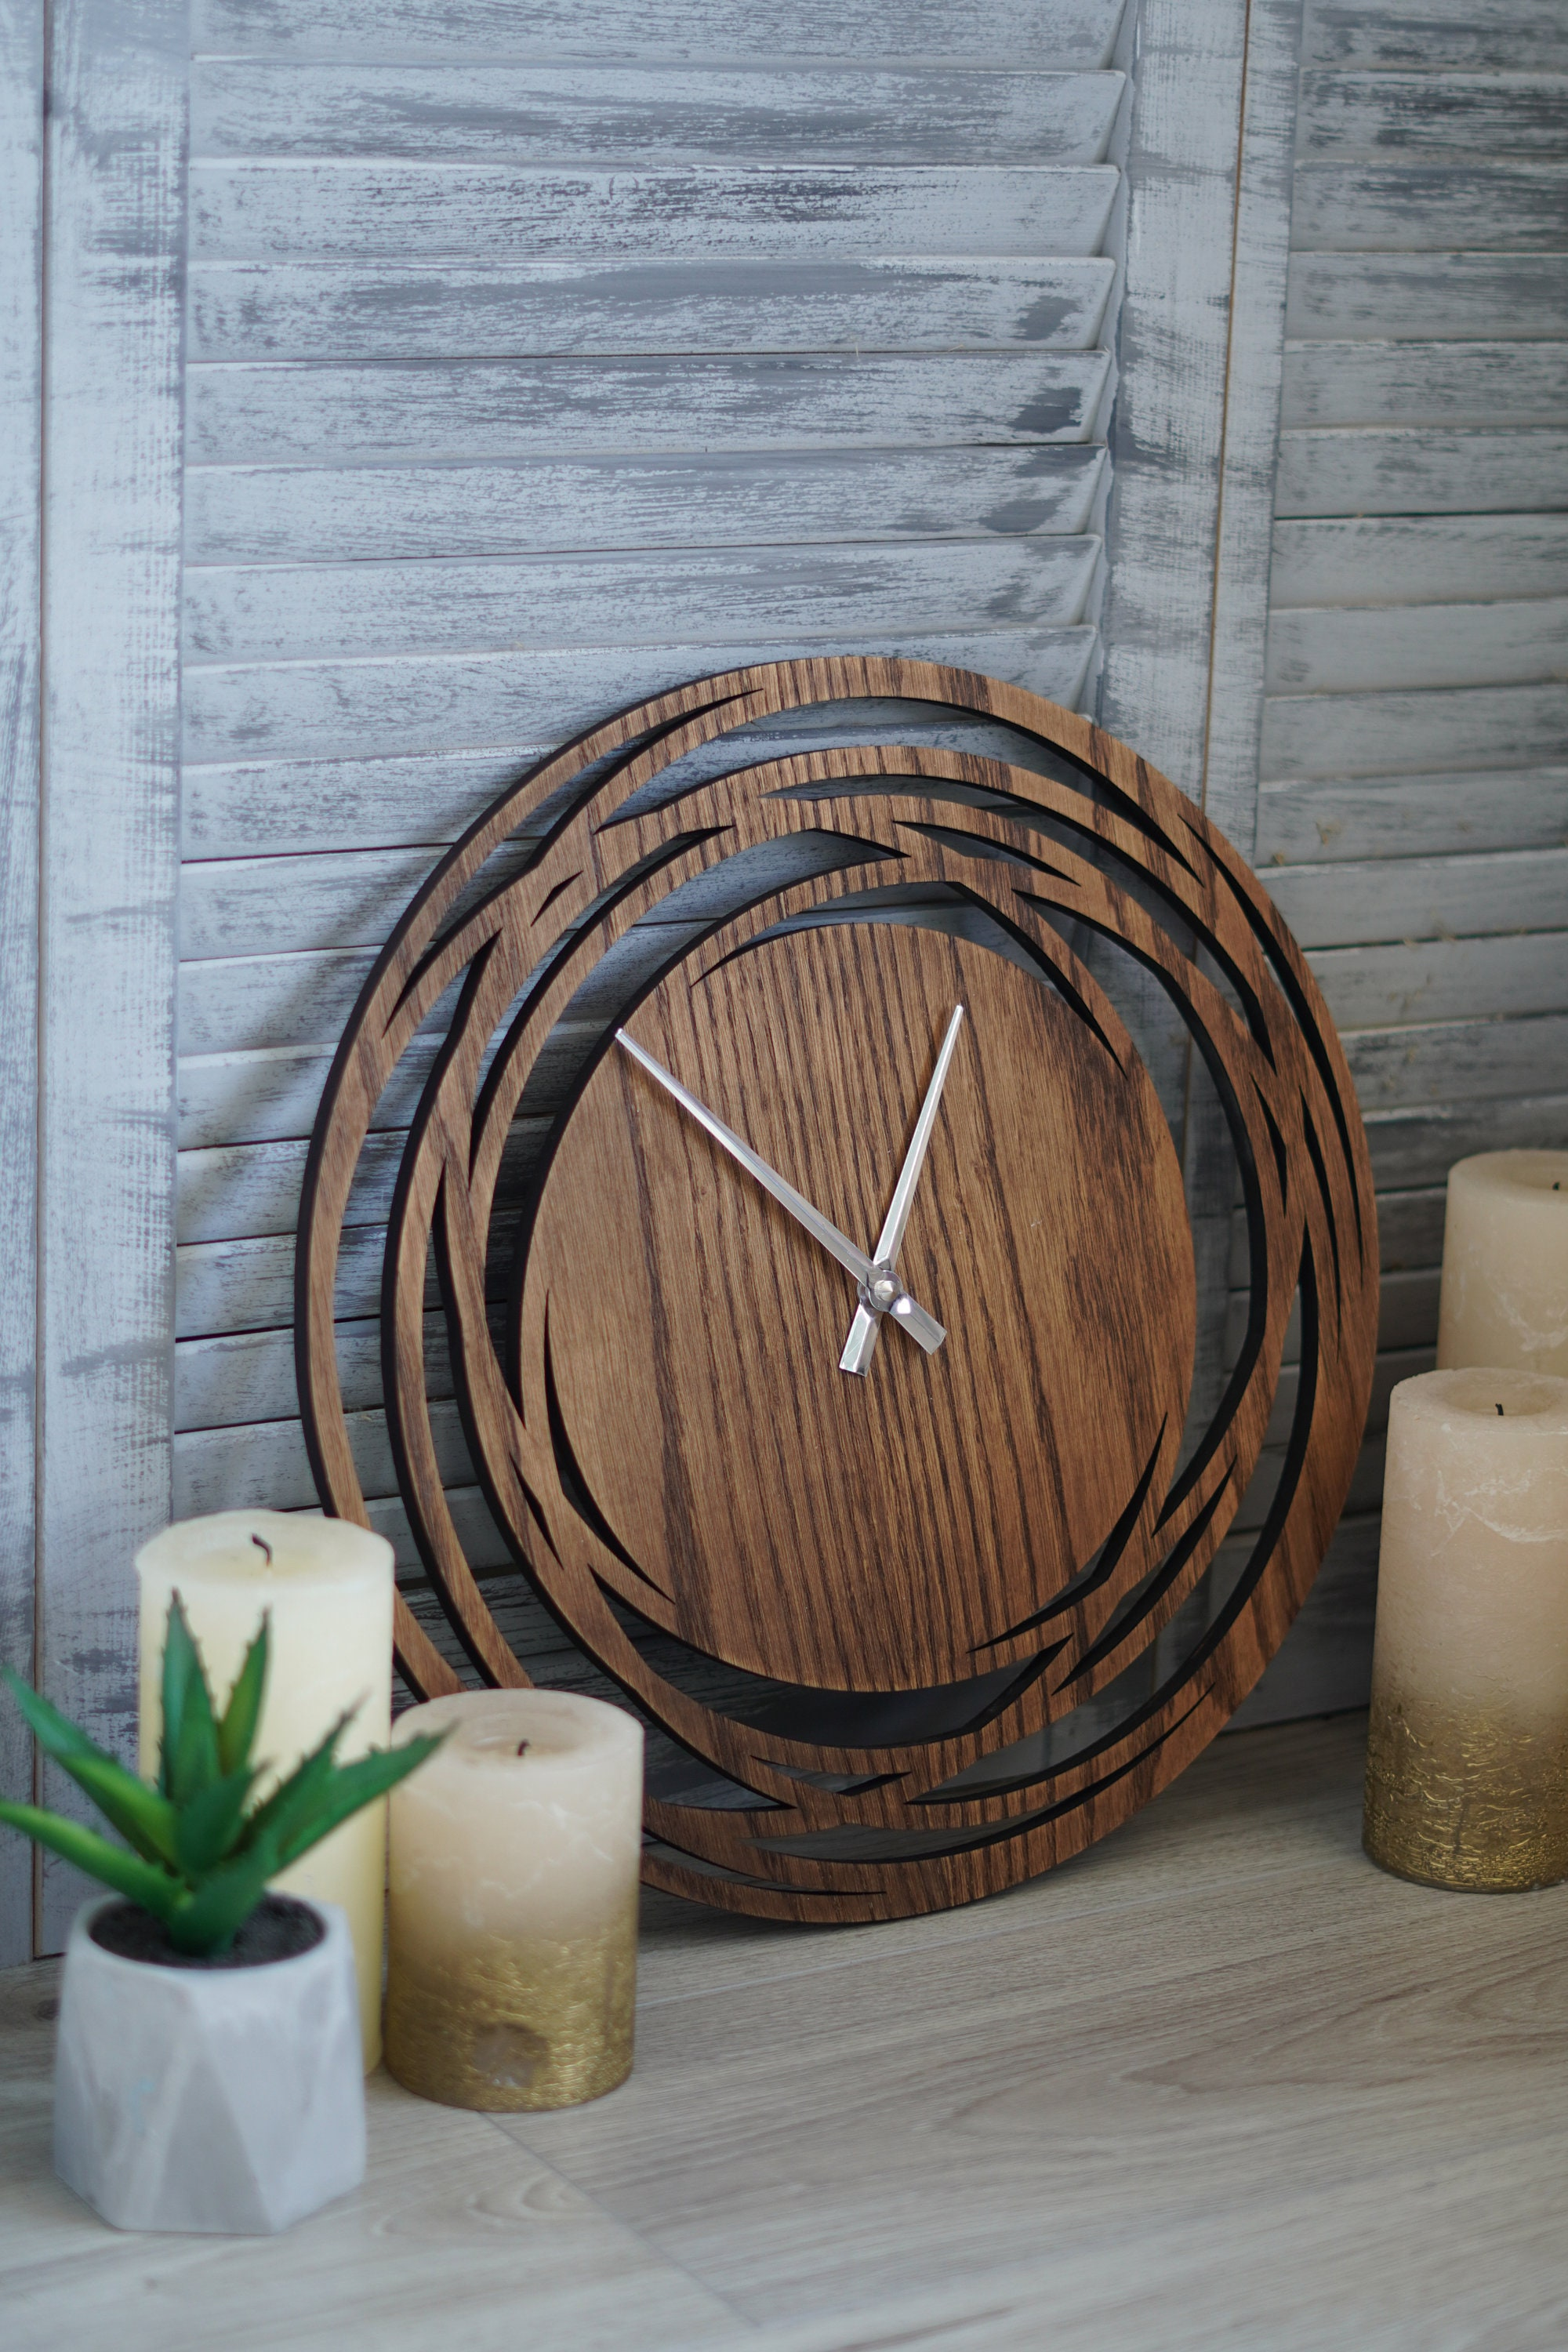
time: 12:51
